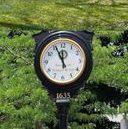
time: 11:55
